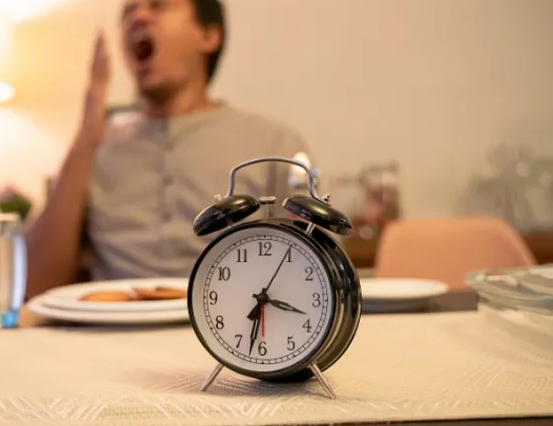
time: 3:32
